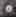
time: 7:37
